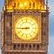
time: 8:44
